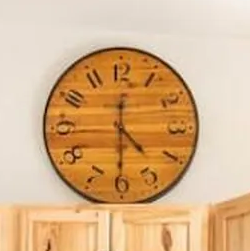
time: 4:30
